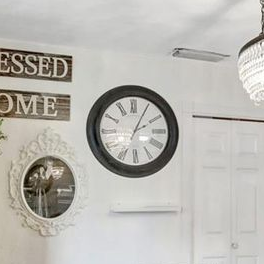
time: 2:04
